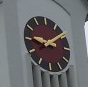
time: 9:09
